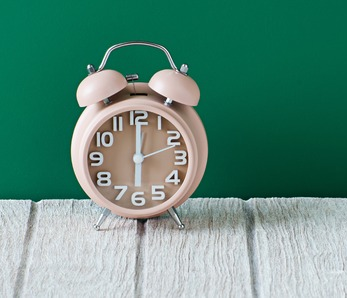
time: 6:00
